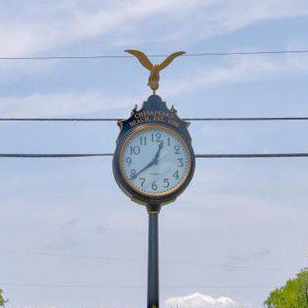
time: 12:39
